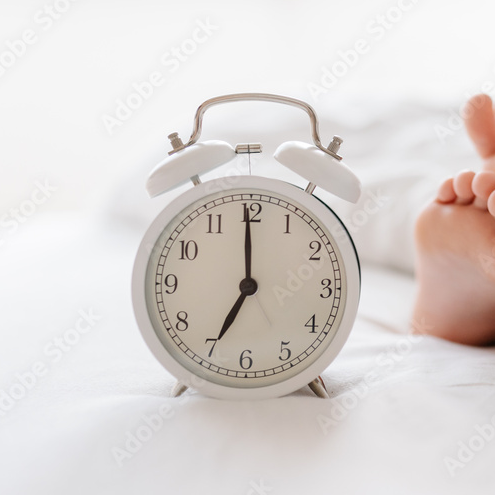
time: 6:59
